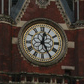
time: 12:24
